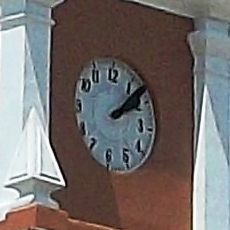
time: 2:07
